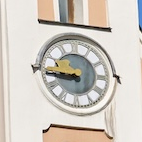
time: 8:45
